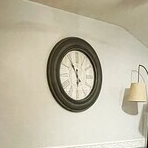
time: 5:54
